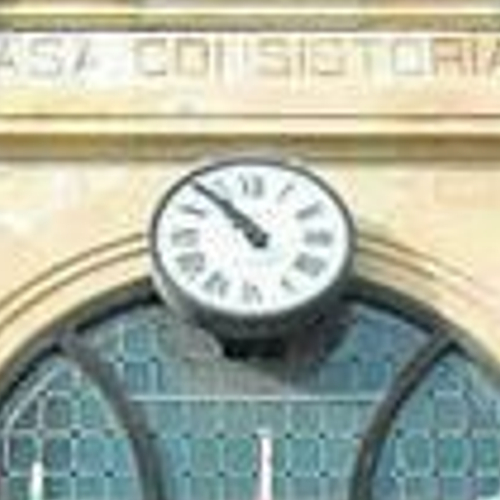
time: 10:53
